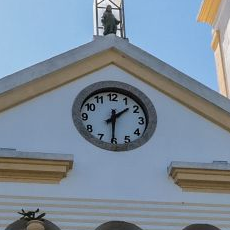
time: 1:30
